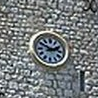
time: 1:50
